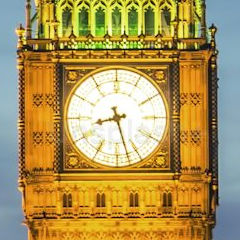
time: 8:27
